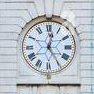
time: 12:24
